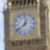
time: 12:38
